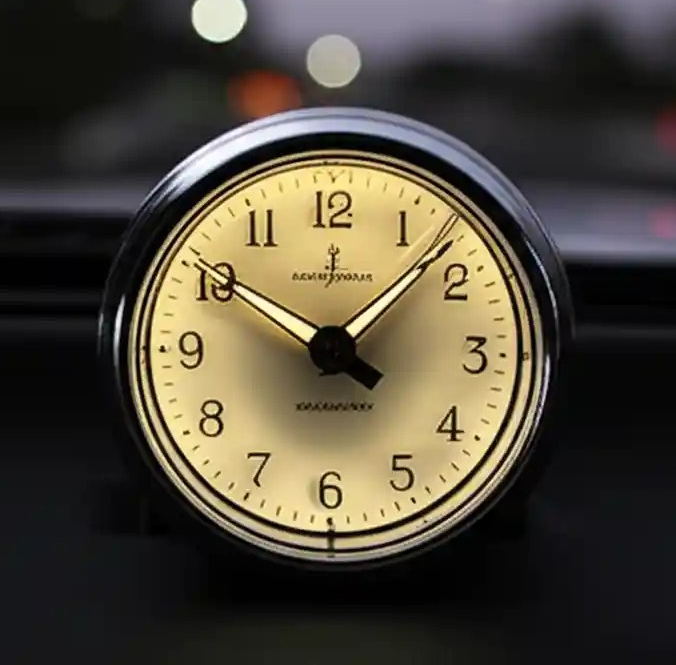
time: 10:07
